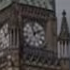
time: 1:56
